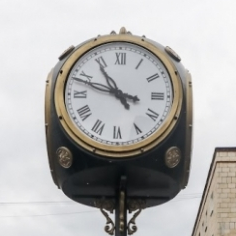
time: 10:48
